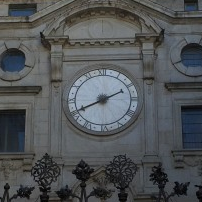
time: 8:10
